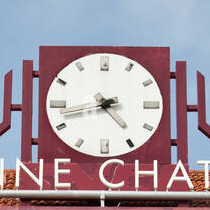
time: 4:42
